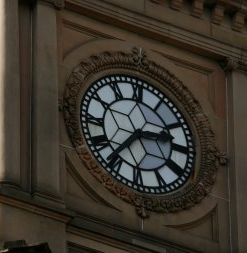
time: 2:36
